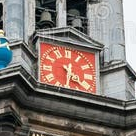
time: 4:31
